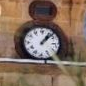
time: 1:07
